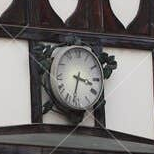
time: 3:32
